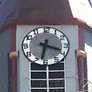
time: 3:32
